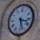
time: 3:27
